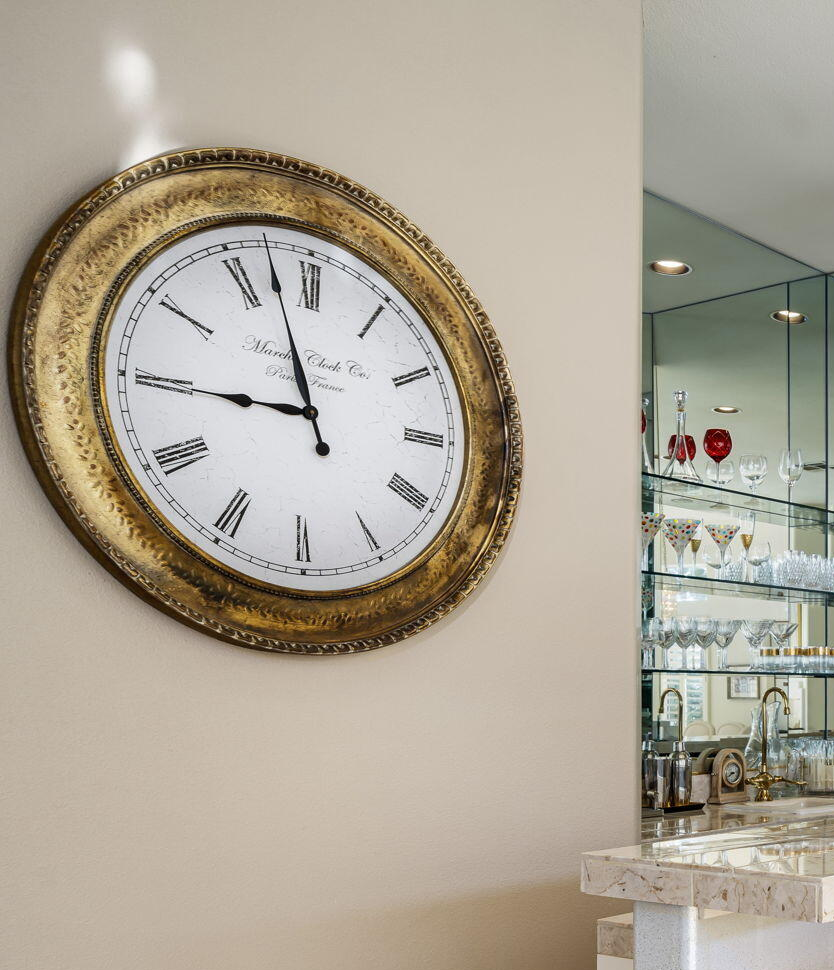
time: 8:57
